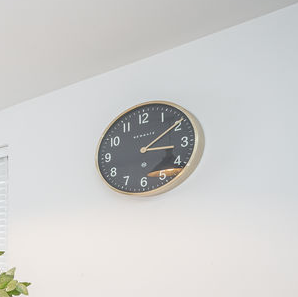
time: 3:09
